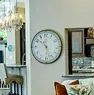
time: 10:27
